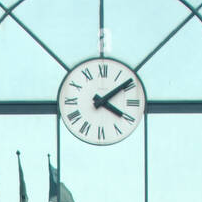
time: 4:08
